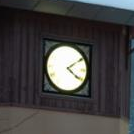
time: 4:09
